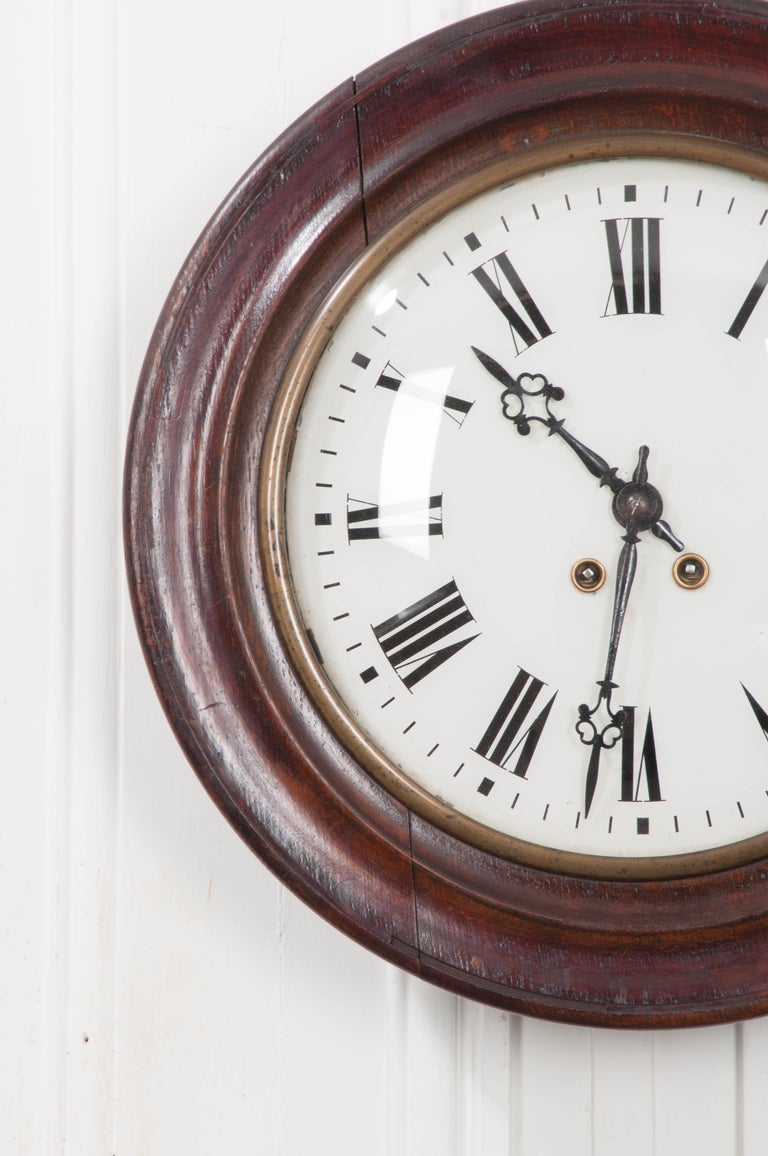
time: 10:31
